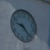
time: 9:22
